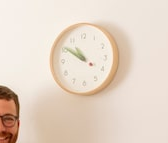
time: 10:50
